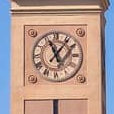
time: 11:06
